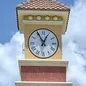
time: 12:55
